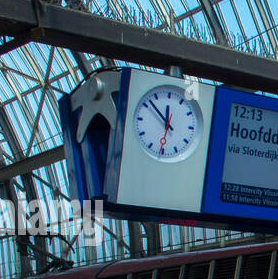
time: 11:52
